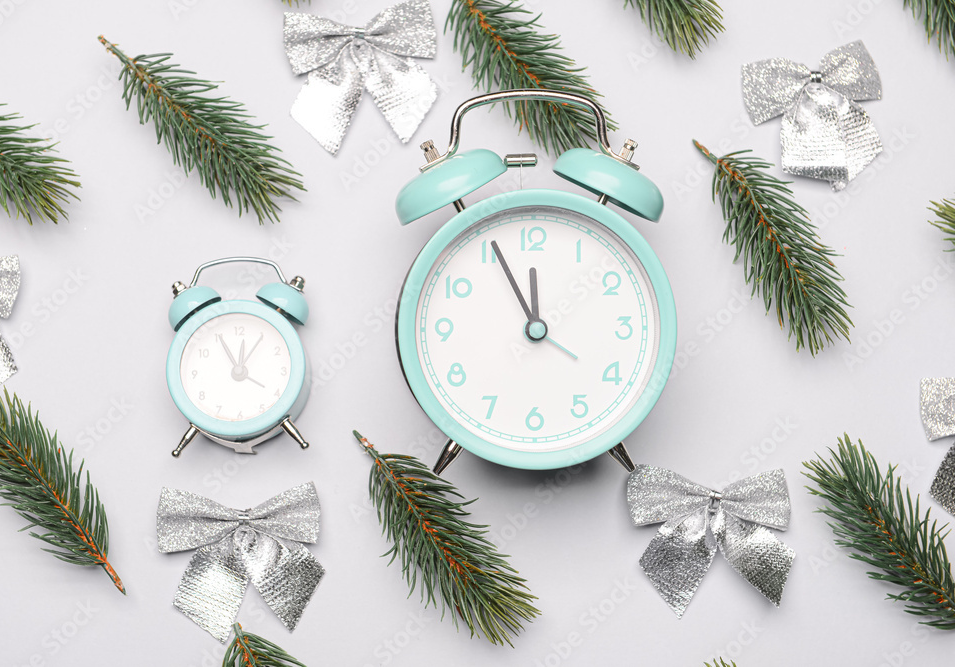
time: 11:55
